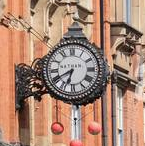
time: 6:40
